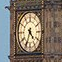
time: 4:34
